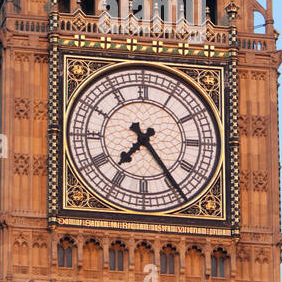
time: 7:24
